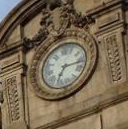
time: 7:15
